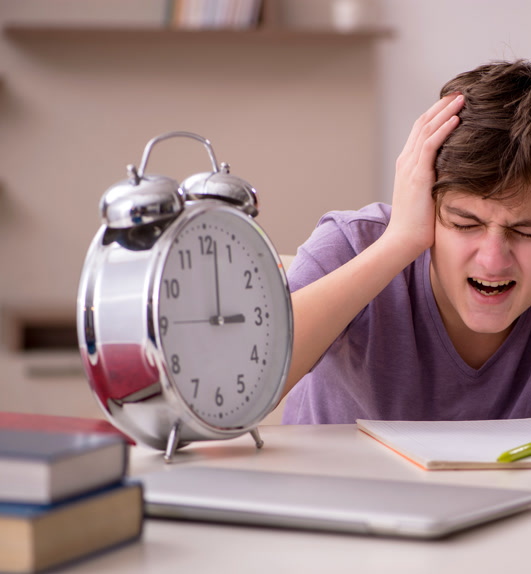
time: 3:01
